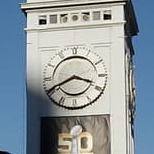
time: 3:40
